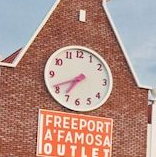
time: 7:41
